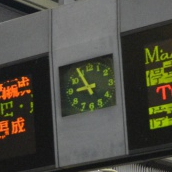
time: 8:54
